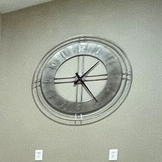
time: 1:24
